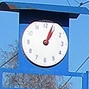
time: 1:04
